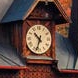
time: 10:33
